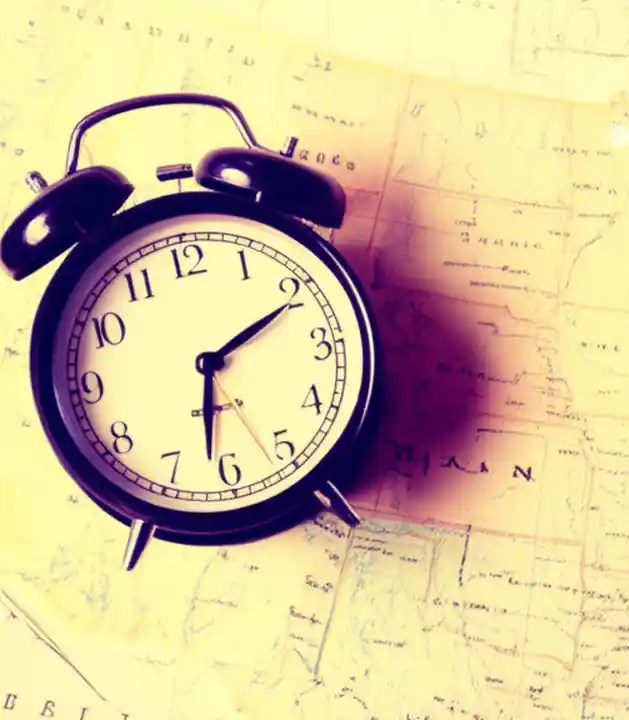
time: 6:10
